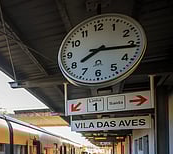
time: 8:15
